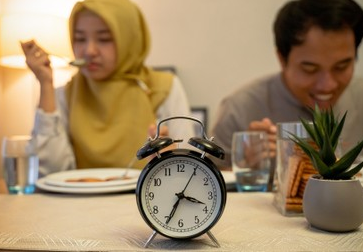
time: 3:34
